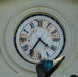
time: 4:35
